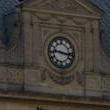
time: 9:16
